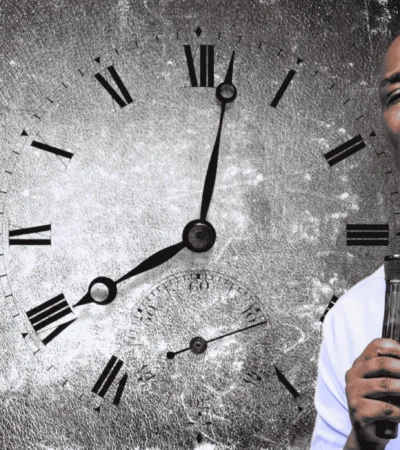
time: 8:01
